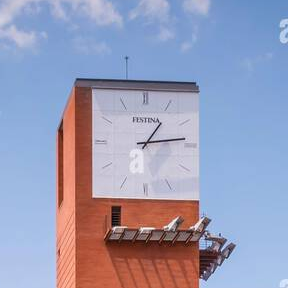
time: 1:13
